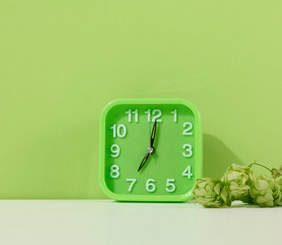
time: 7:00
